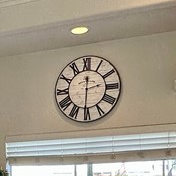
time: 2:30
